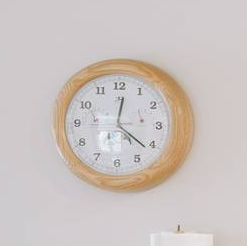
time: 12:21
